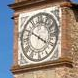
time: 3:50
